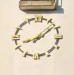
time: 8:08
